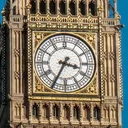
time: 3:34
